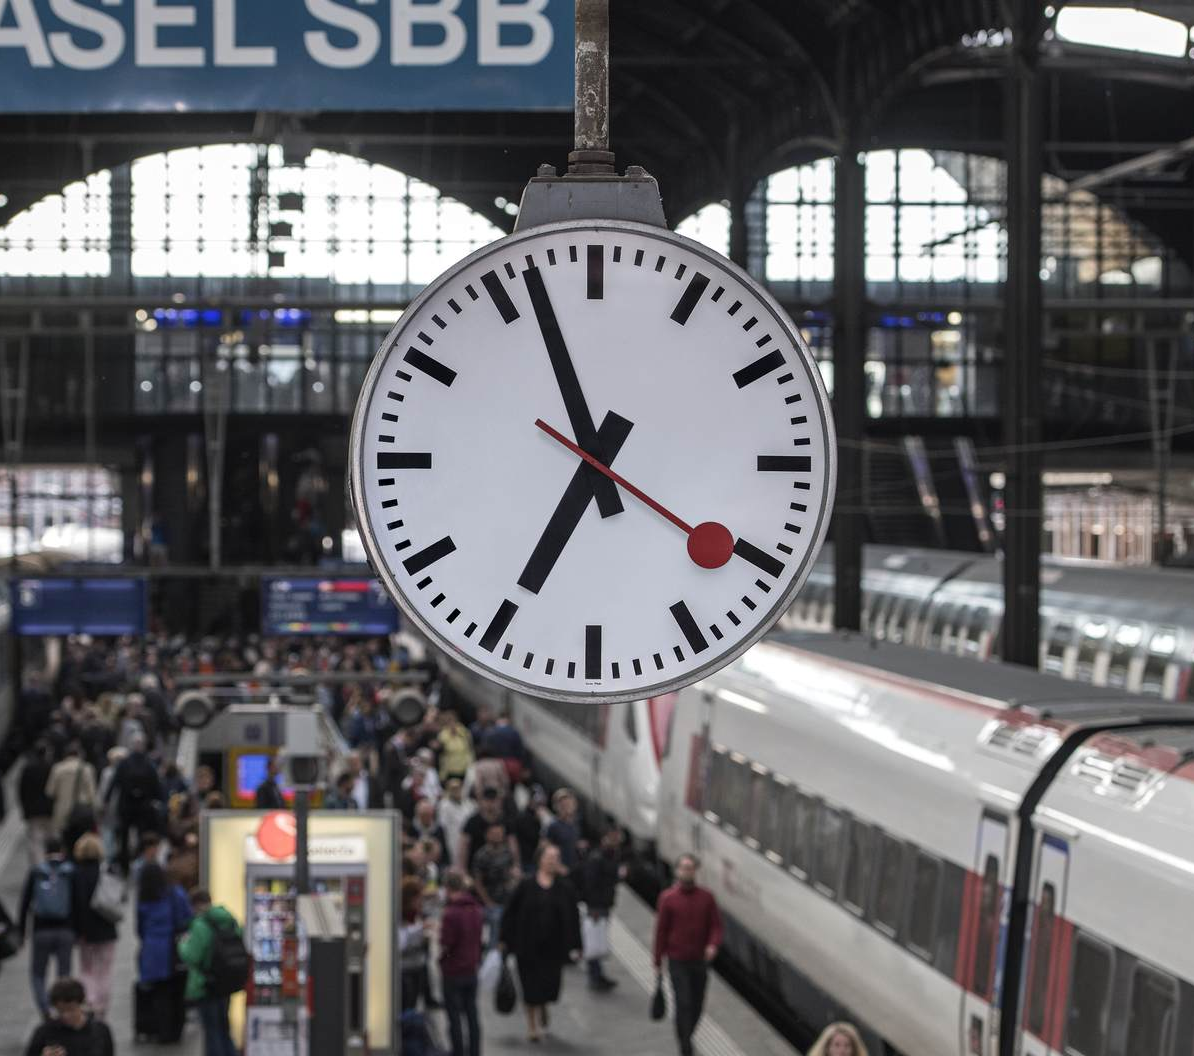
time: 6:56
